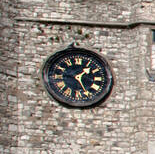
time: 1:26
